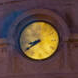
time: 8:39
